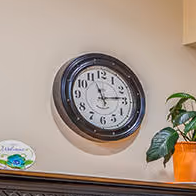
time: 11:13
